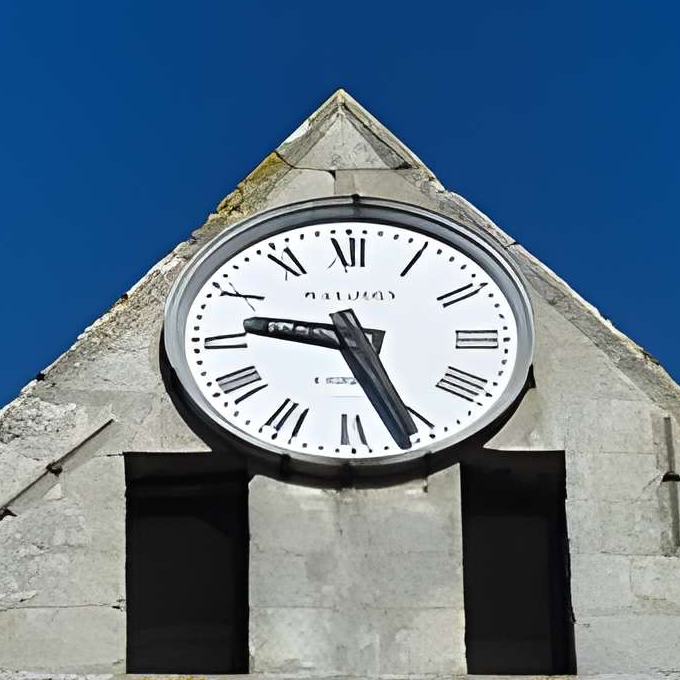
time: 9:26
